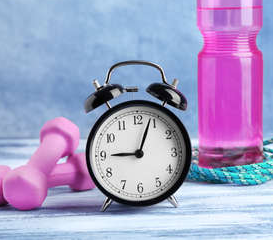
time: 9:03
